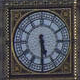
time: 5:30
